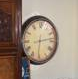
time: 6:13
